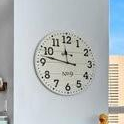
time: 11:47
